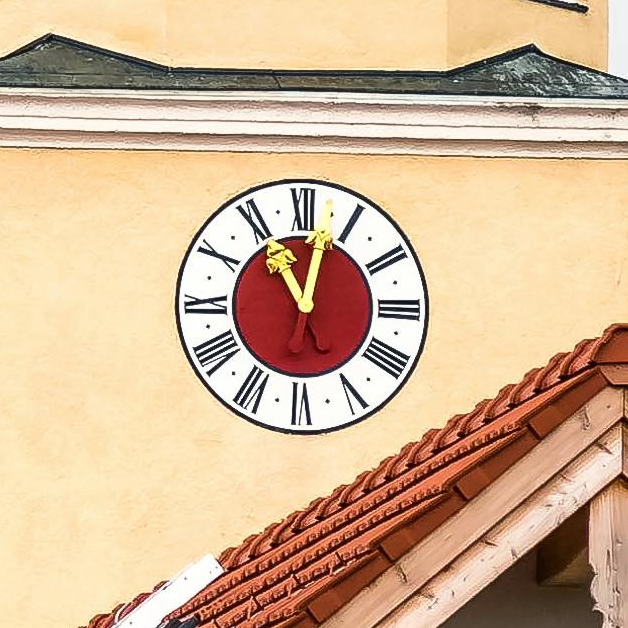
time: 11:02
